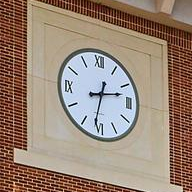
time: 2:31
